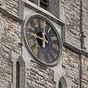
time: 11:46
